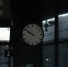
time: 9:50
